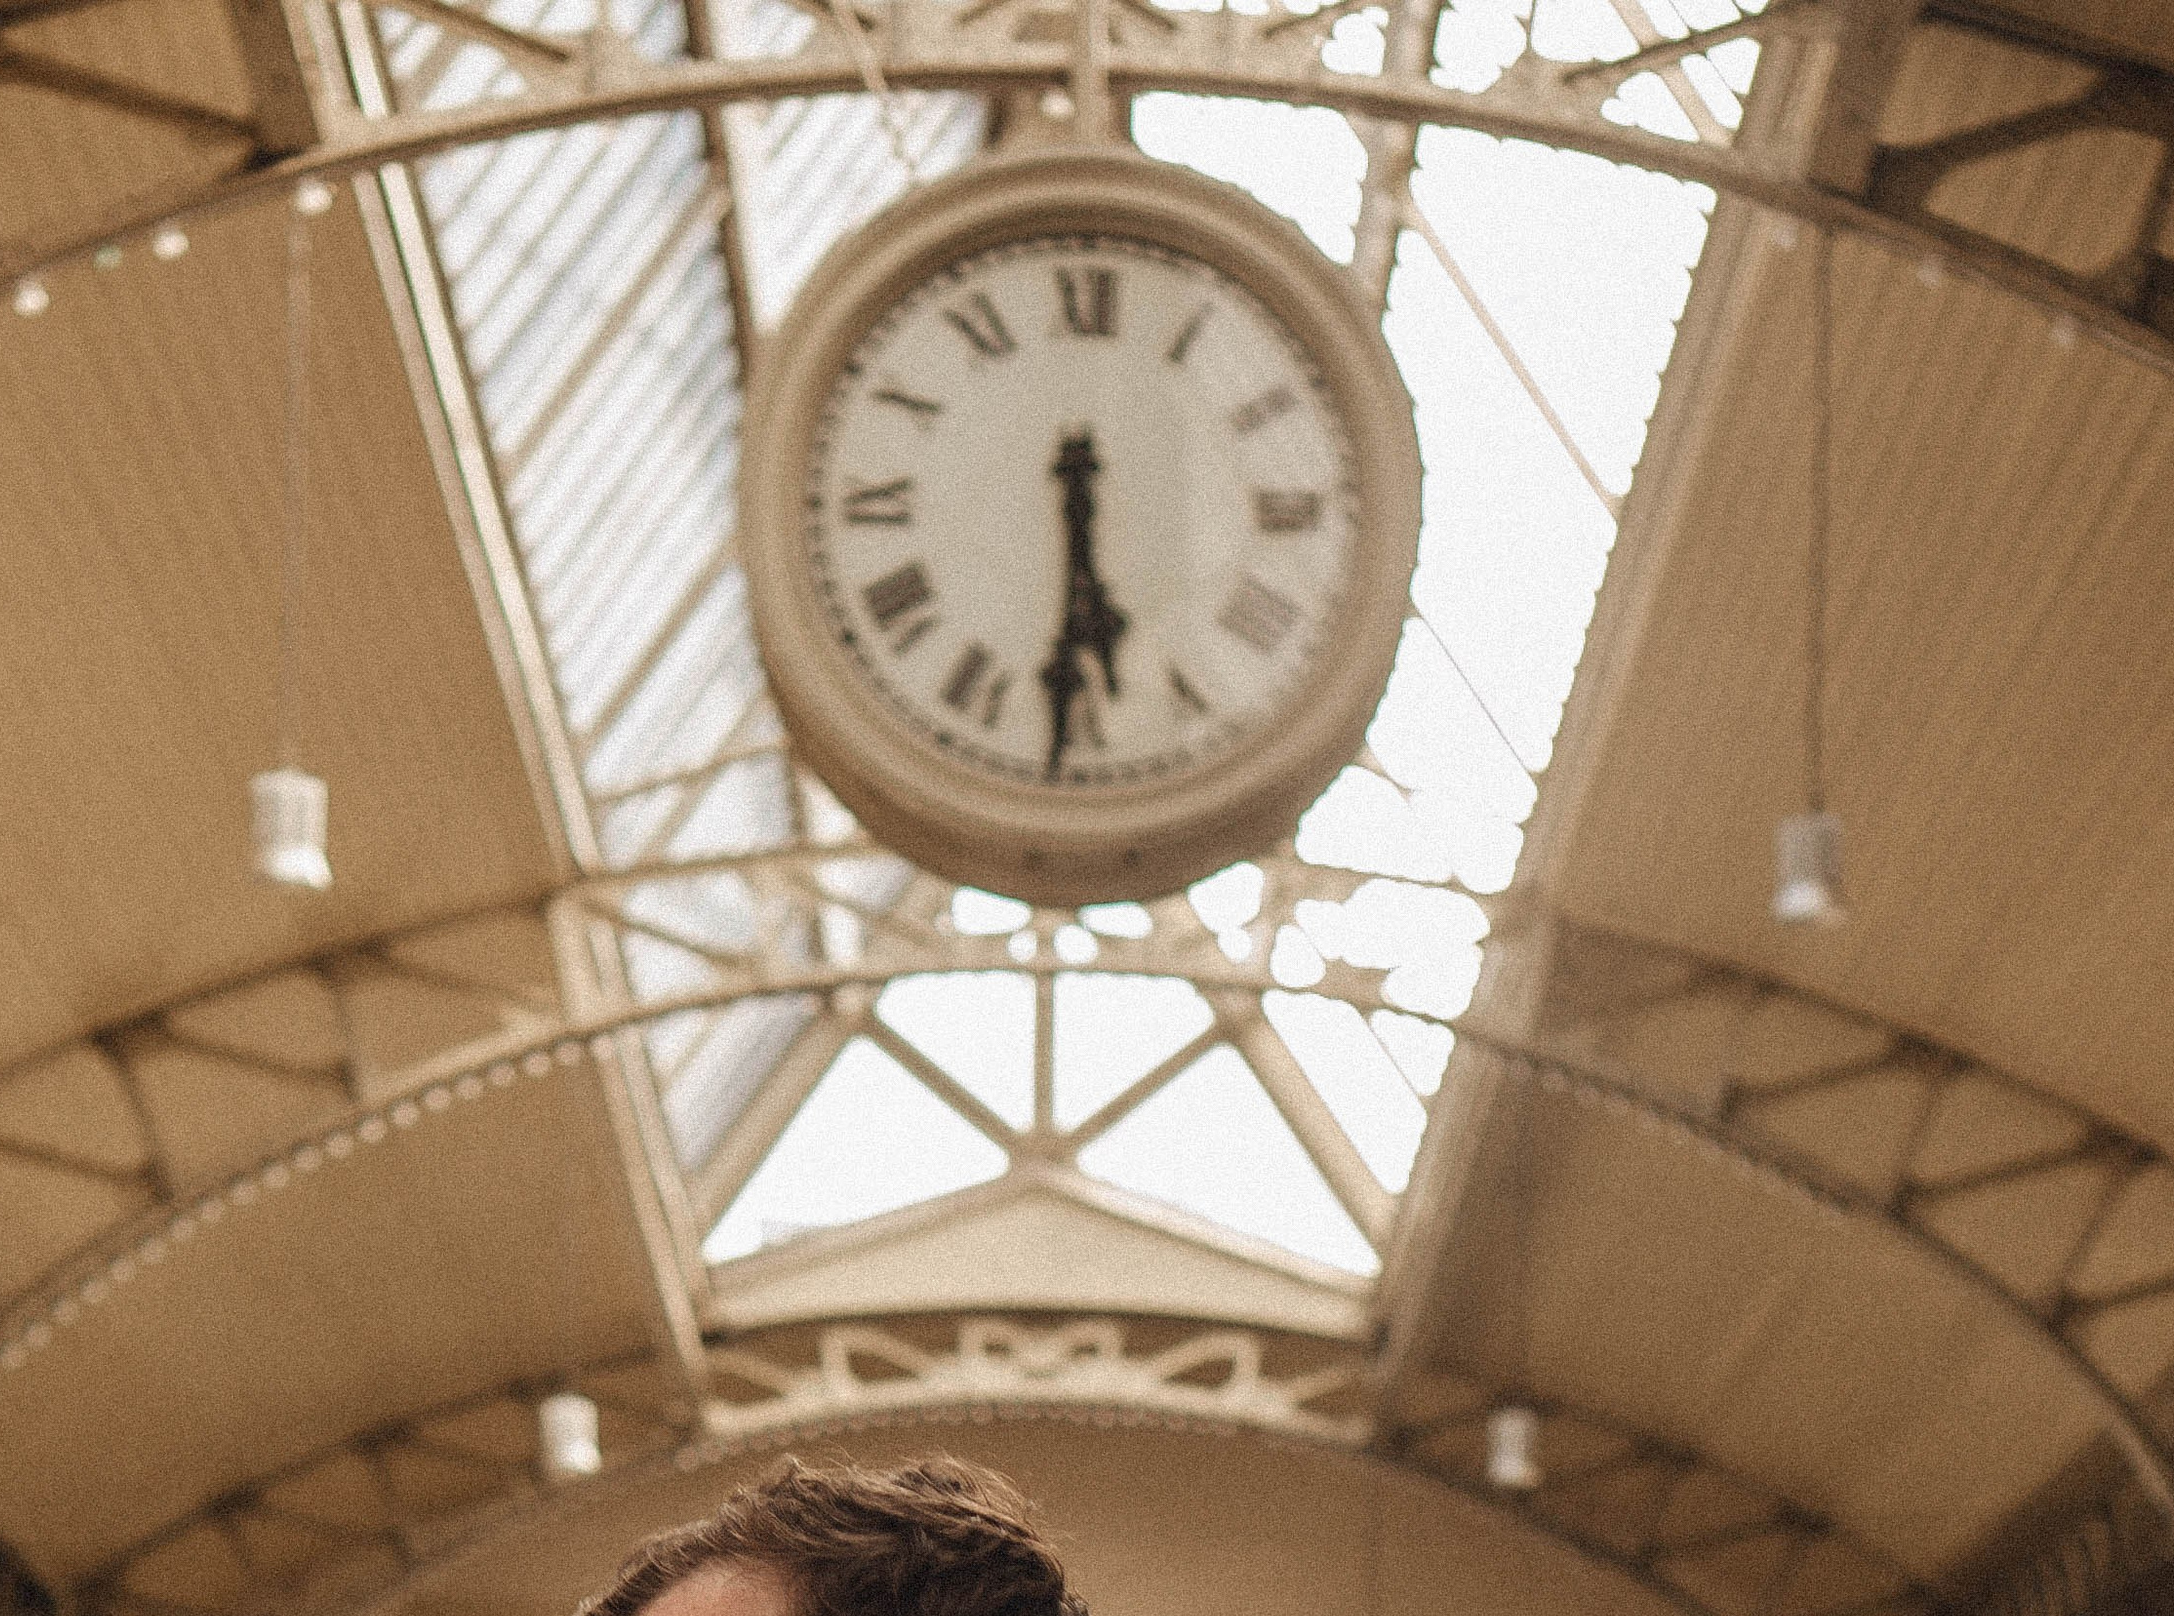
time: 5:30
